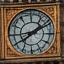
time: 1:39
